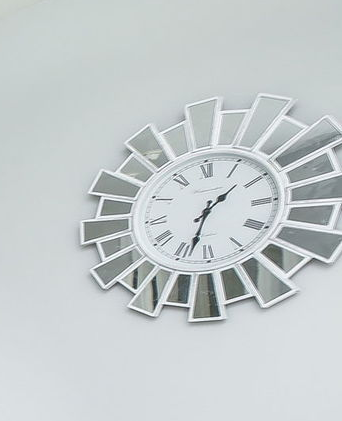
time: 1:33
